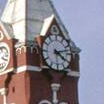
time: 4:12
